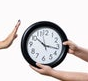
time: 10:16
